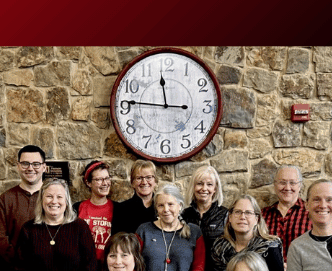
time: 11:46
